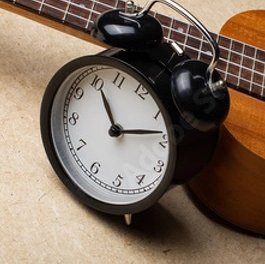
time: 11:13
